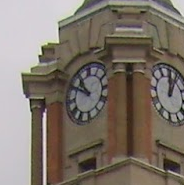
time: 10:50
